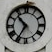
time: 10:35
